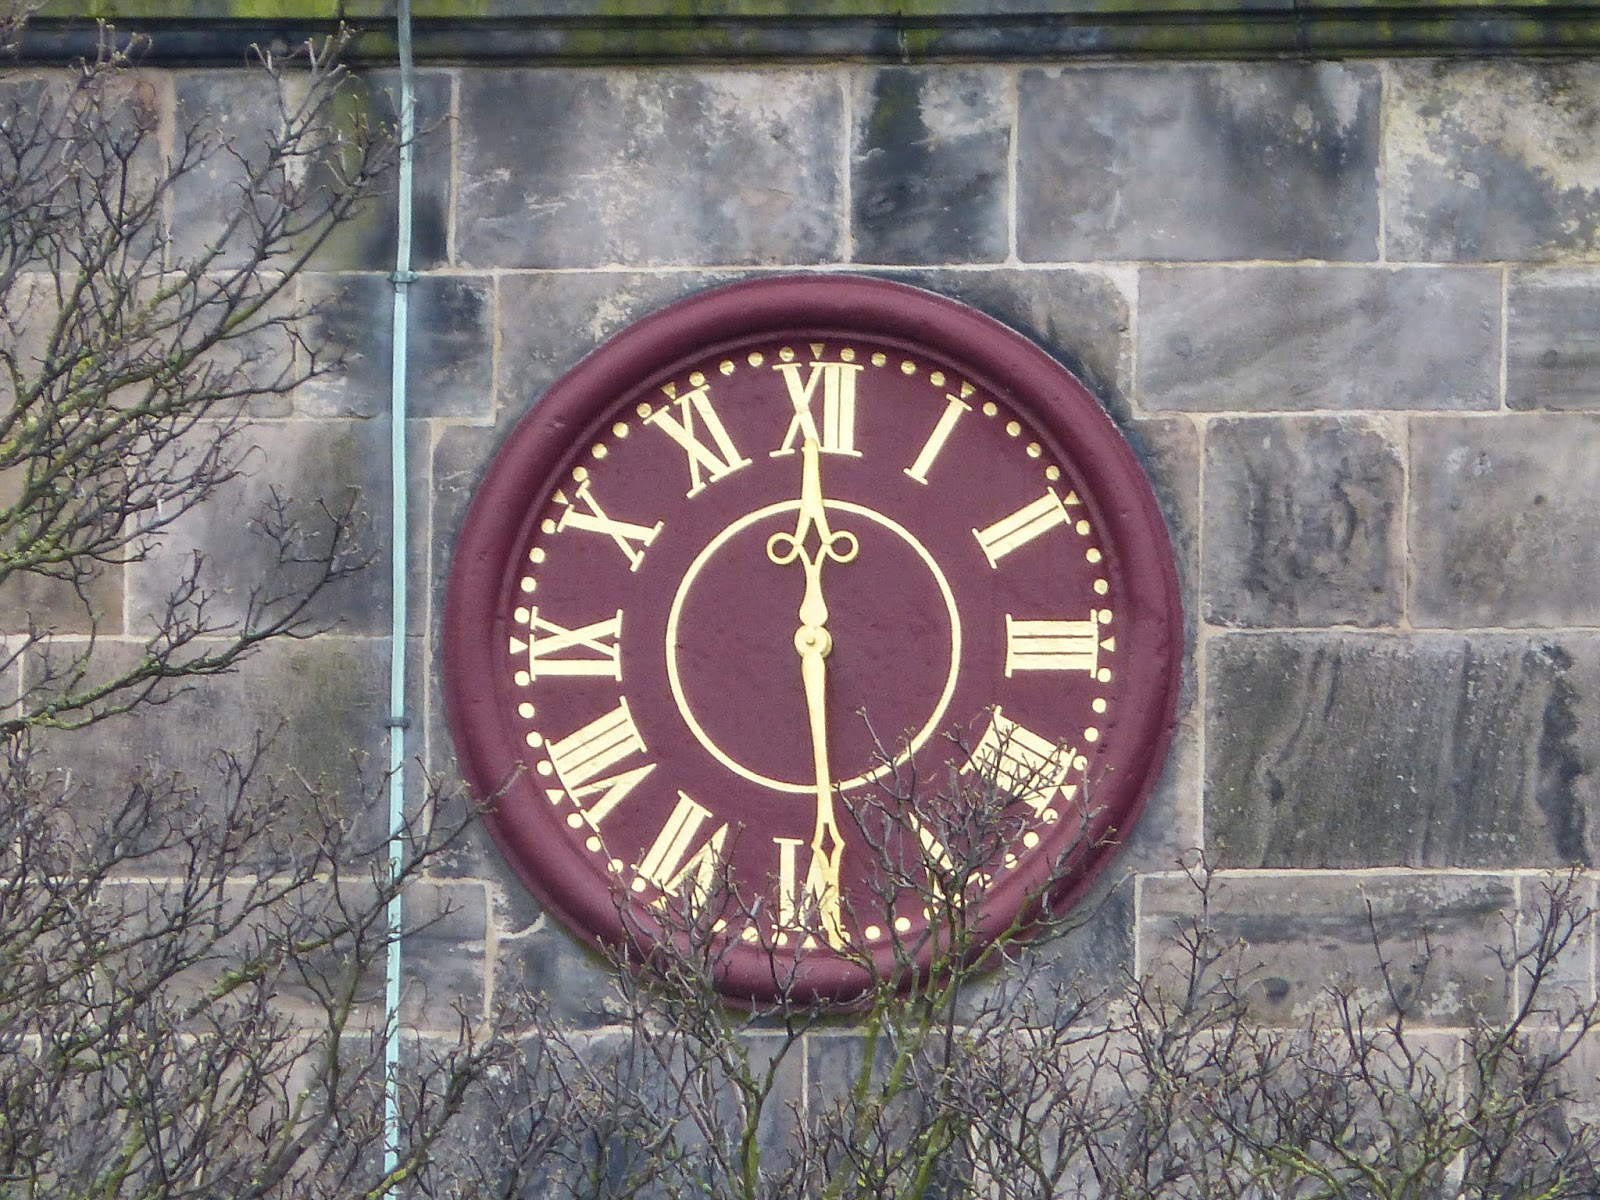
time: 5:59
